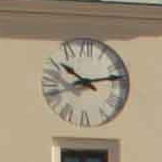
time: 10:12
